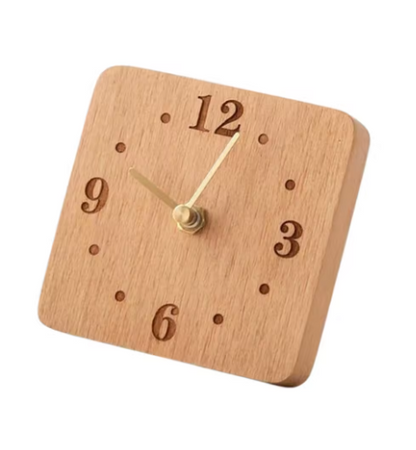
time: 10:02
